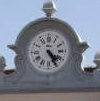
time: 4:24
